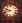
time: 9:42
